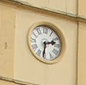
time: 2:31
